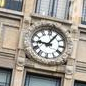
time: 9:05
